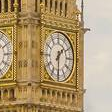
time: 1:30
